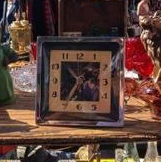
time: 10:35
